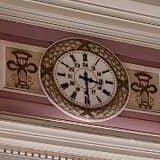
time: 3:29
